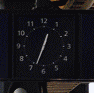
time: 12:33
